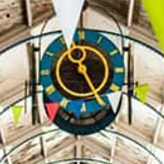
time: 11:25
